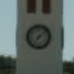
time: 7:08
